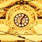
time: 6:06
